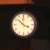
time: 3:52
